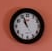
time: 10:56
